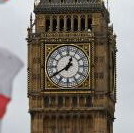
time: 12:40
